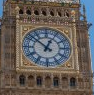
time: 12:51
